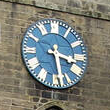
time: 3:28
